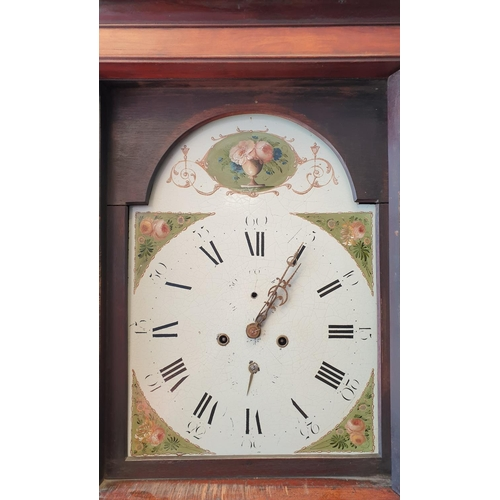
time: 1:05
